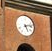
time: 5:12
